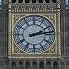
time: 2:13
